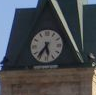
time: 5:36
